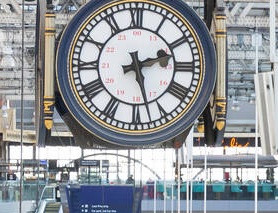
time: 2:27
